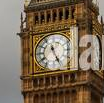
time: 11:25
